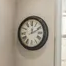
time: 12:10
